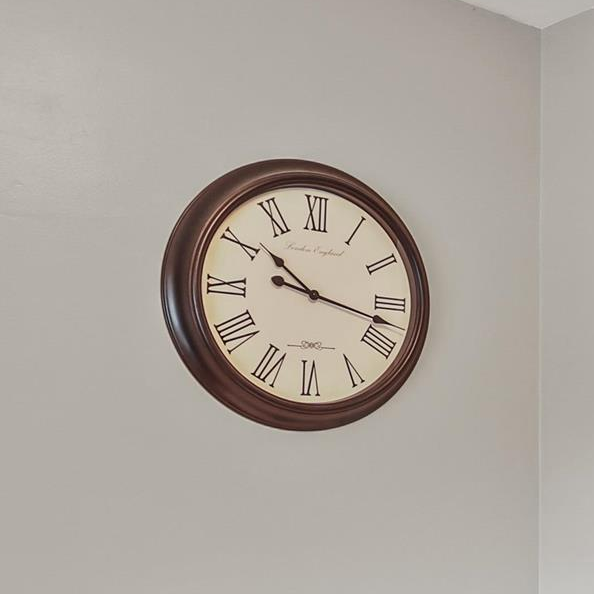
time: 10:17
